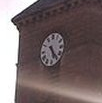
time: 5:23
